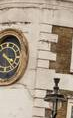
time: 3:22
